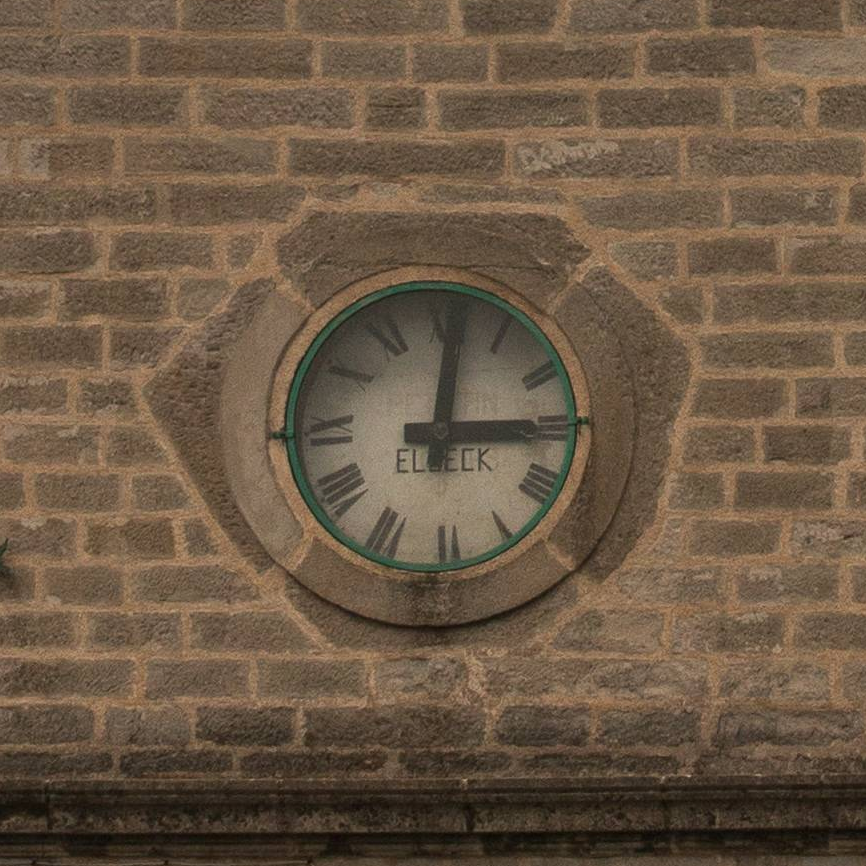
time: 12:14
